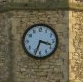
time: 3:33
